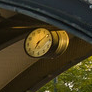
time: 7:09
